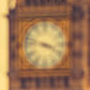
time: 3:47
